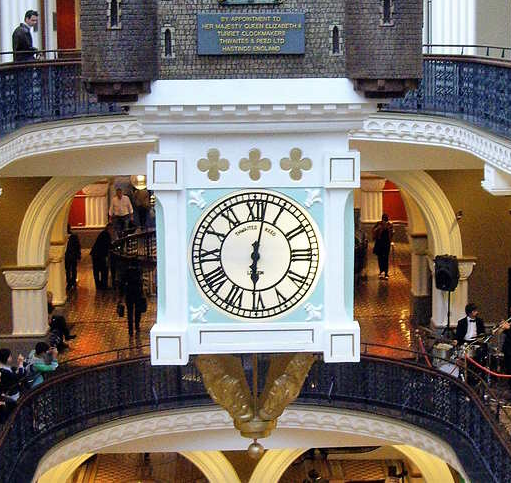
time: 6:01
